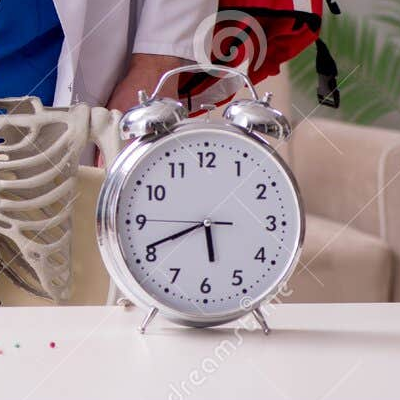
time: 5:41
